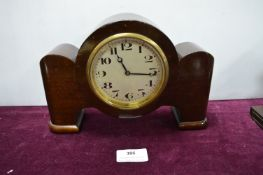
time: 11:16
